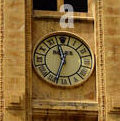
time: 11:33
